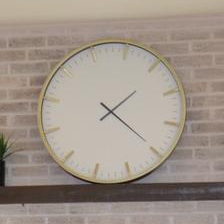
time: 1:19
